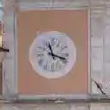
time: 11:17
